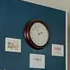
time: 1:54
